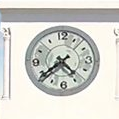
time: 4:38
